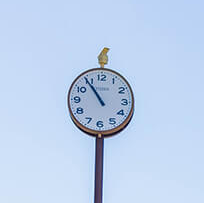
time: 10:54
